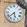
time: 5:38
